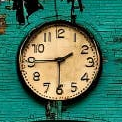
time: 1:45
